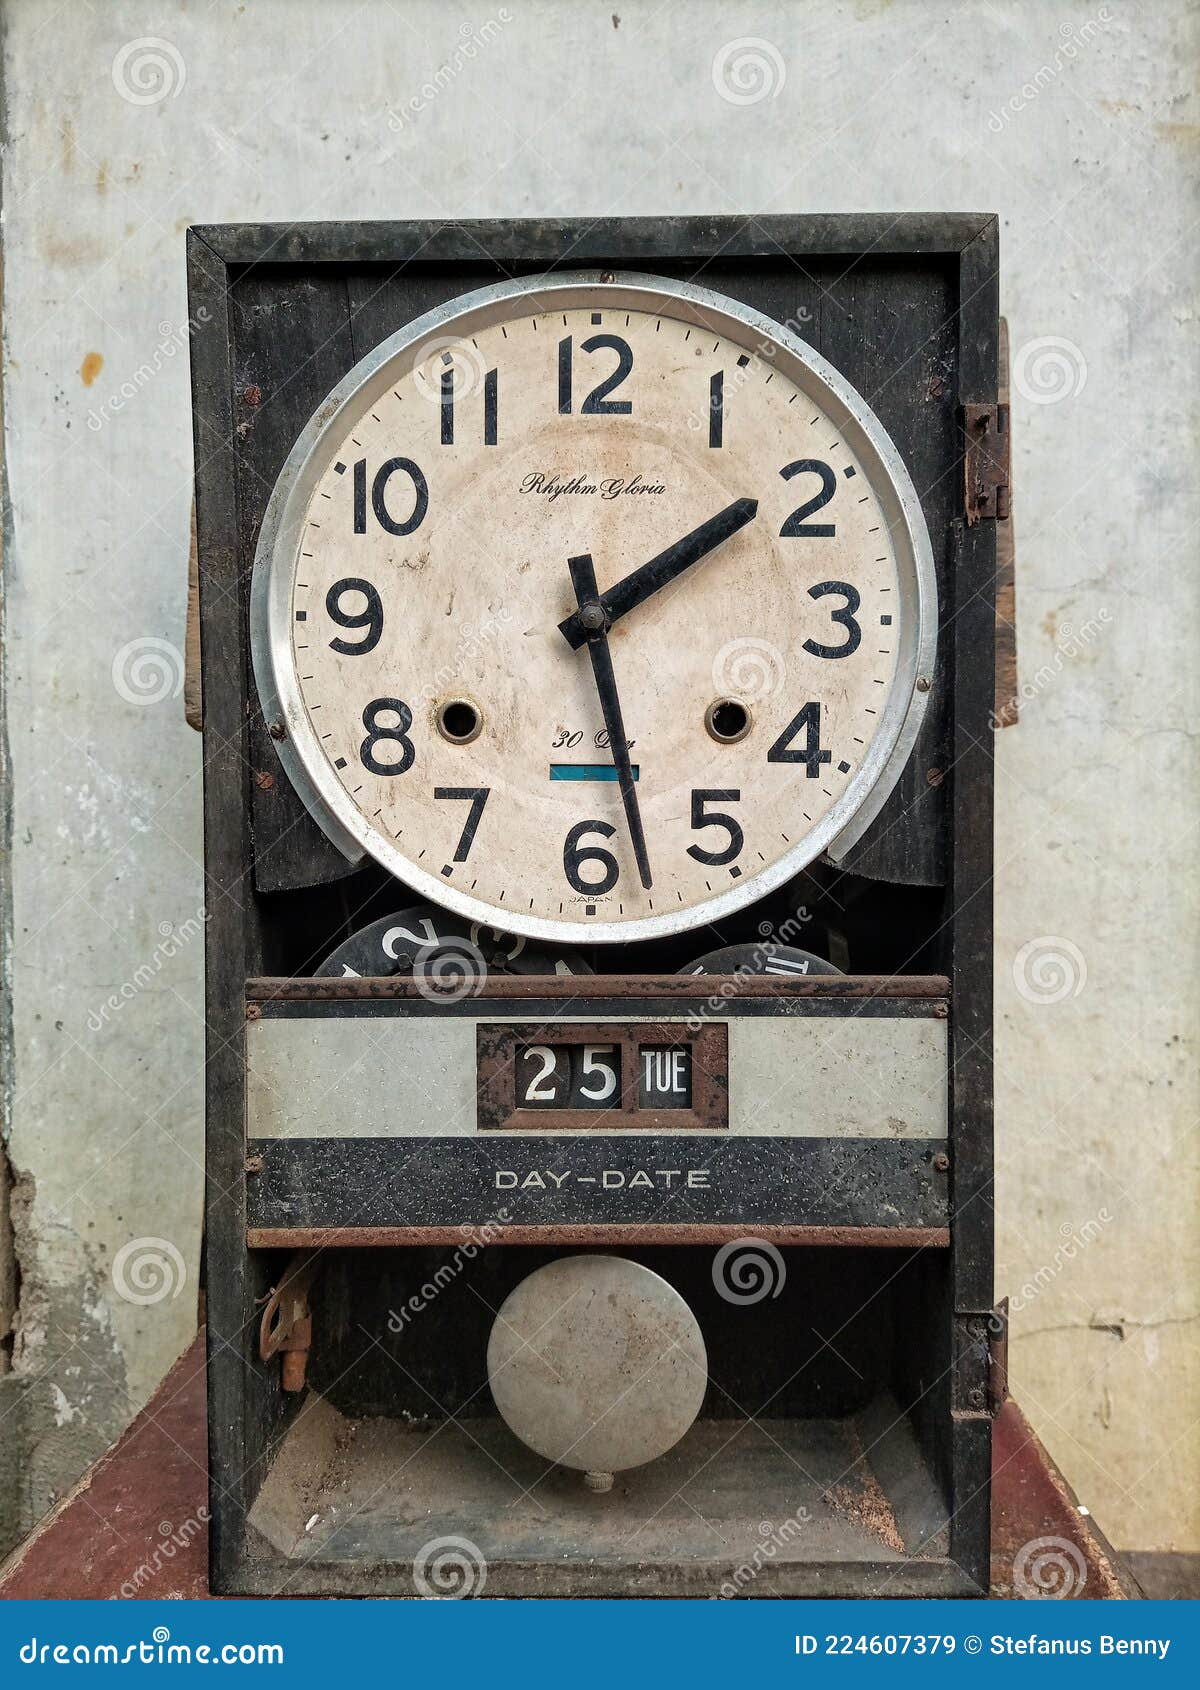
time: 1:28
